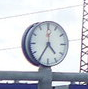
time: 4:35
